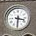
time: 3:30
